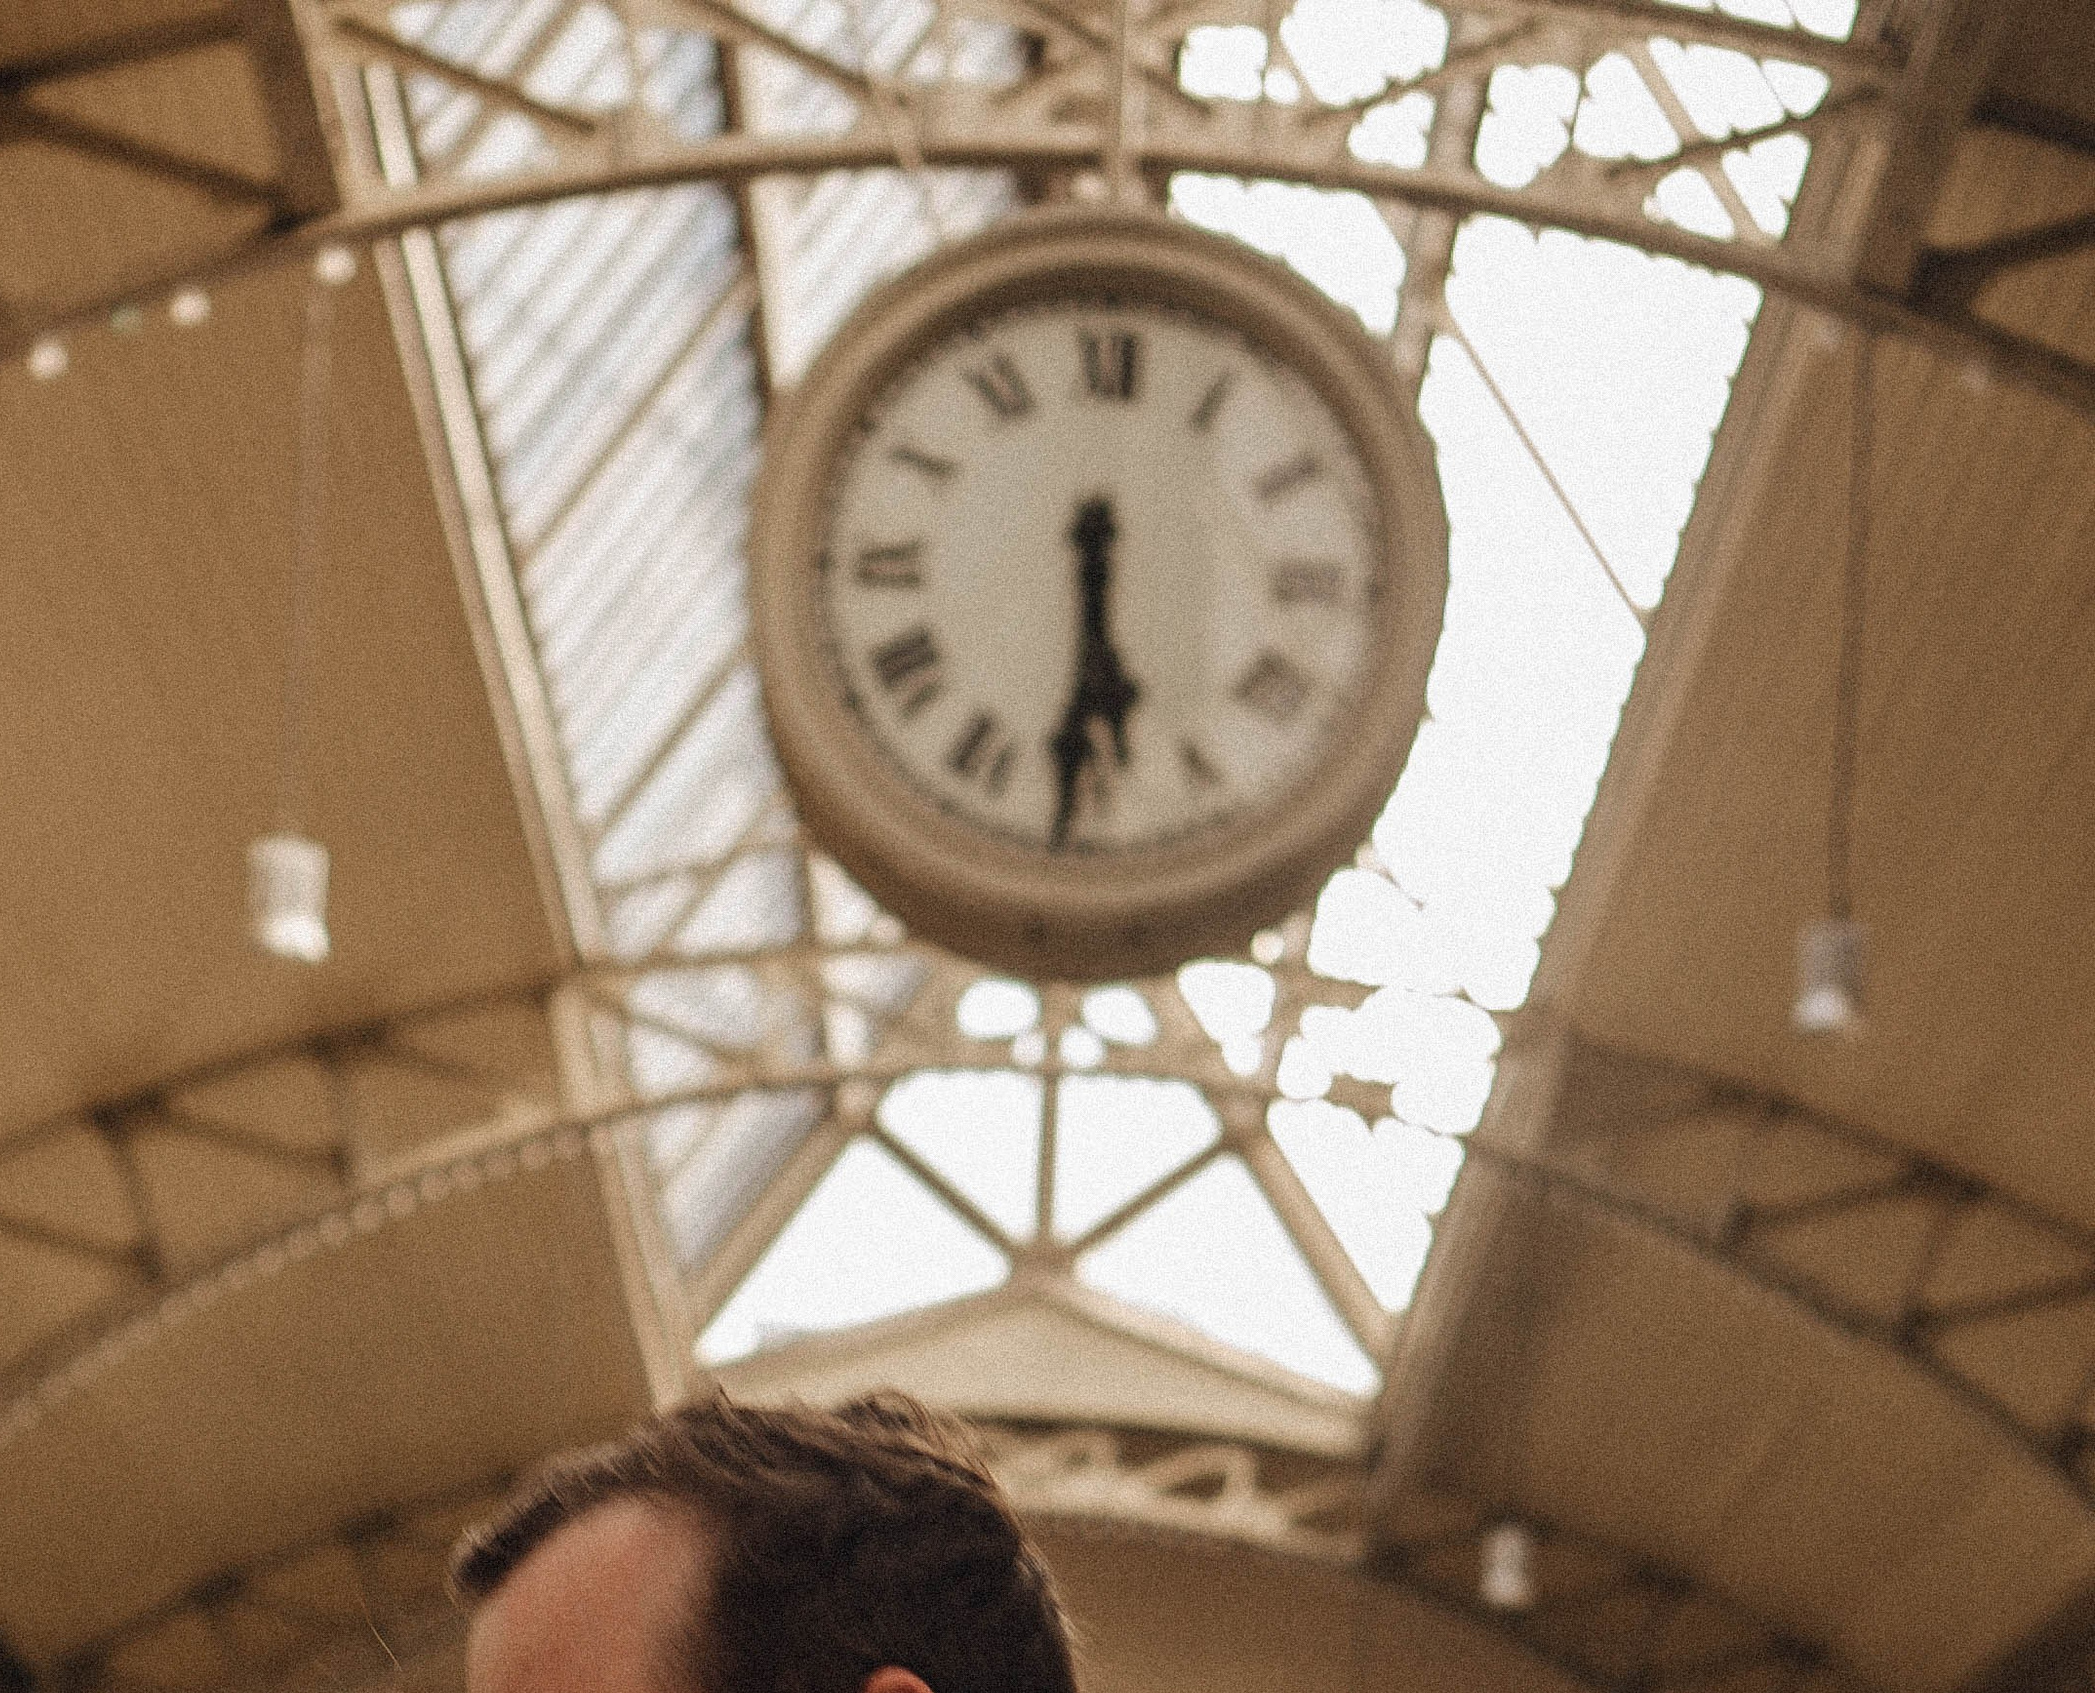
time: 5:30
